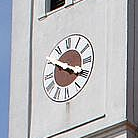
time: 3:50
